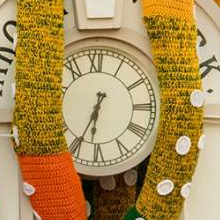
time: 6:35
